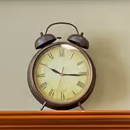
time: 10:15
